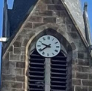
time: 9:38
